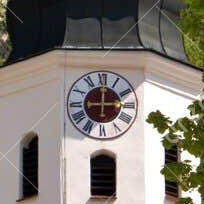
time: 12:14
